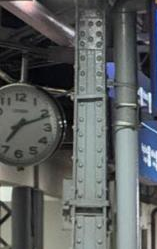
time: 7:11
